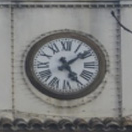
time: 5:08
